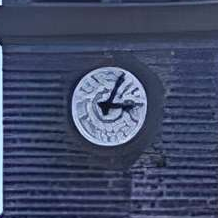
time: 3:04
